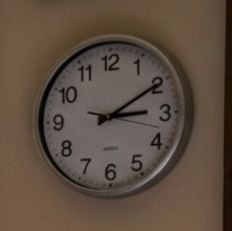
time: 3:09
